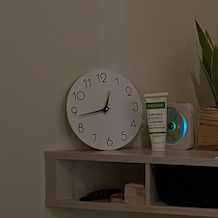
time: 12:43
